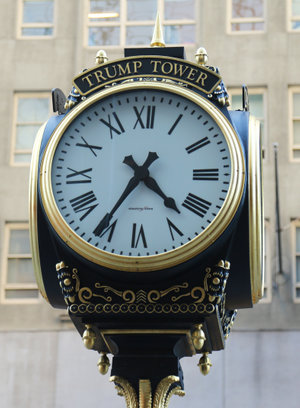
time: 4:35
